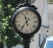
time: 11:35
